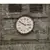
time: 2:50
